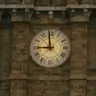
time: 8:59
